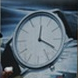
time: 12:19
